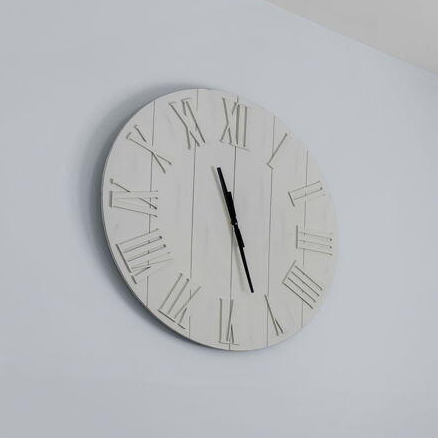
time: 11:26
